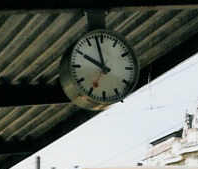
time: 9:57
